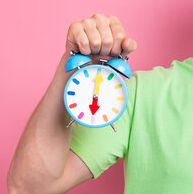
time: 6:00
